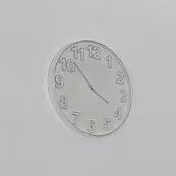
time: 3:52
